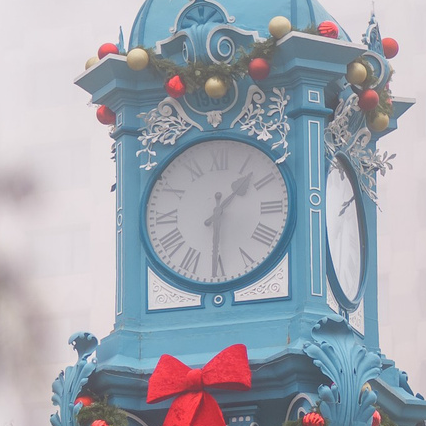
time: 1:30
